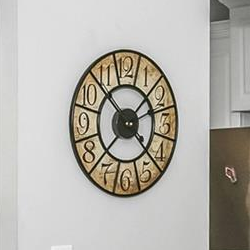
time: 2:22
